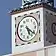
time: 5:21
